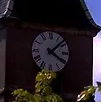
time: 4:08
